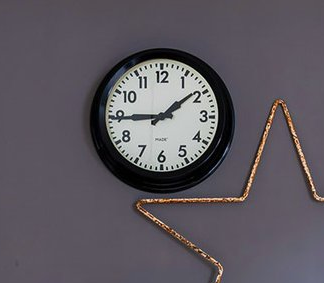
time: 1:44
